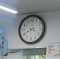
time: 3:40
